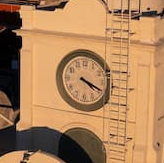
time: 4:19
